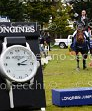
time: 3:11
